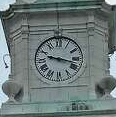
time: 9:17
